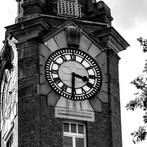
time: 3:30
